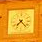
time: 7:23
